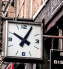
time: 10:04
